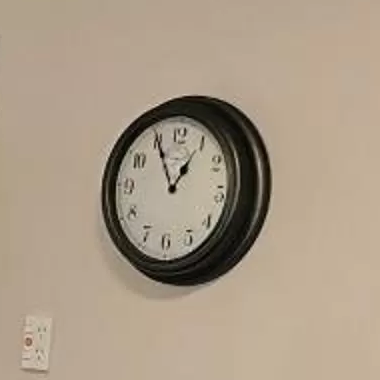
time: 12:55
